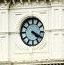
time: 4:19
